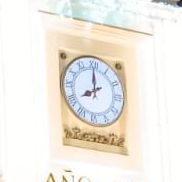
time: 7:59
